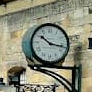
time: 10:16
